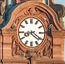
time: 8:21
